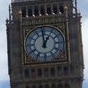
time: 12:59
